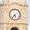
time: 5:36
